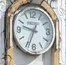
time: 9:34
